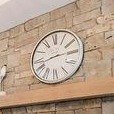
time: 2:42
